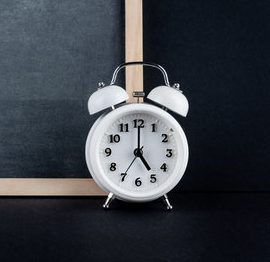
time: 5:00
